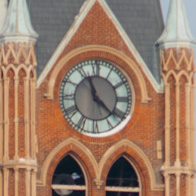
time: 11:21
